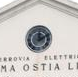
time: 12:10
